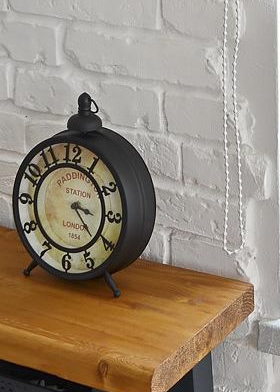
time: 3:22
